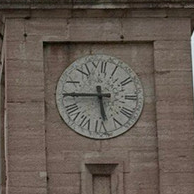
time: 5:45
